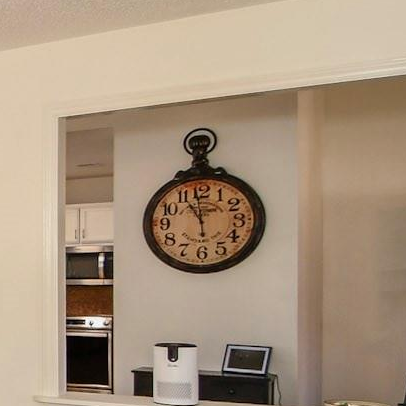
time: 10:59
